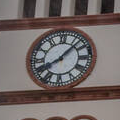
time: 8:07
